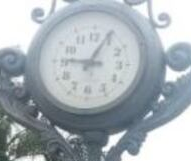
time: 9:04
